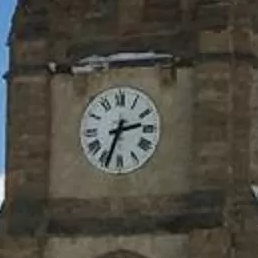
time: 2:33
